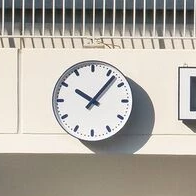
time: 10:07
